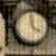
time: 3:58
